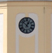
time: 12:52
